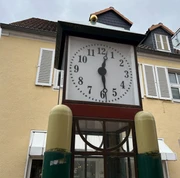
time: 12:28
